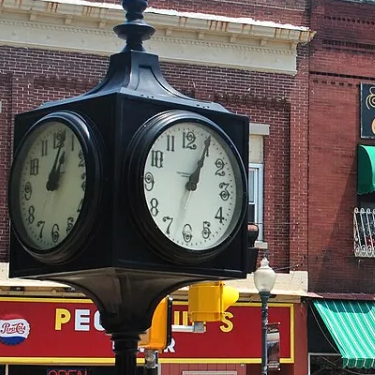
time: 1:04
